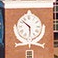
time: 5:51
